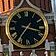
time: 7:17
